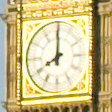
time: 8:00
